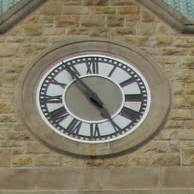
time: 4:54
